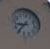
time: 8:36
